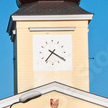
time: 7:20
